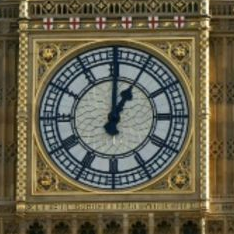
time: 1:00
